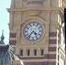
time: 4:36
